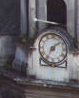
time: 7:09
